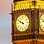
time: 9:50
